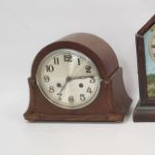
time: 7:13
